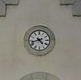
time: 4:42
